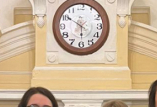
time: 5:50
